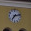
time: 7:12
